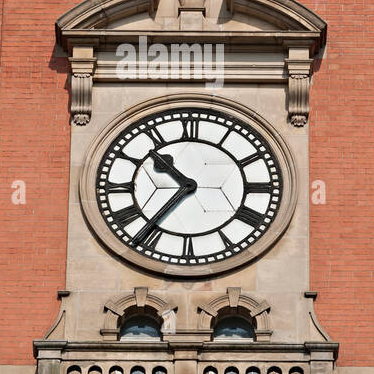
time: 10:36
